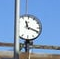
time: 11:18
